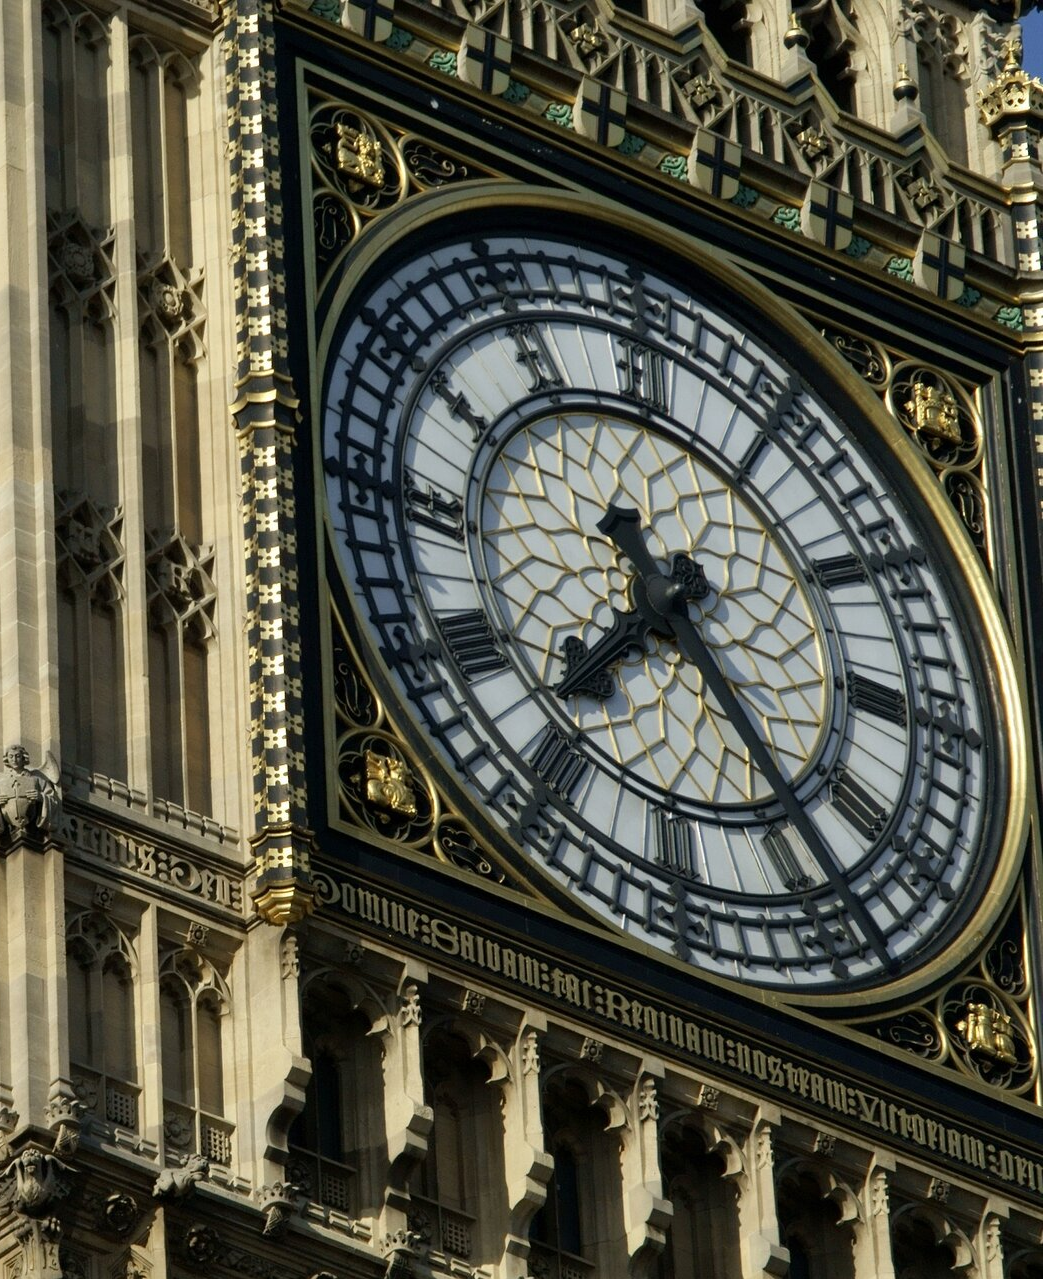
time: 7:23
